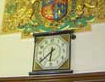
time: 6:38
